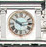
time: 10:14
